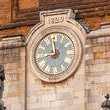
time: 8:58
